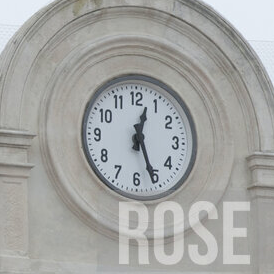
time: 12:26
